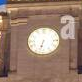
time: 6:32
